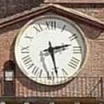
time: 2:27
